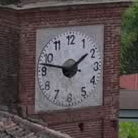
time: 1:47
